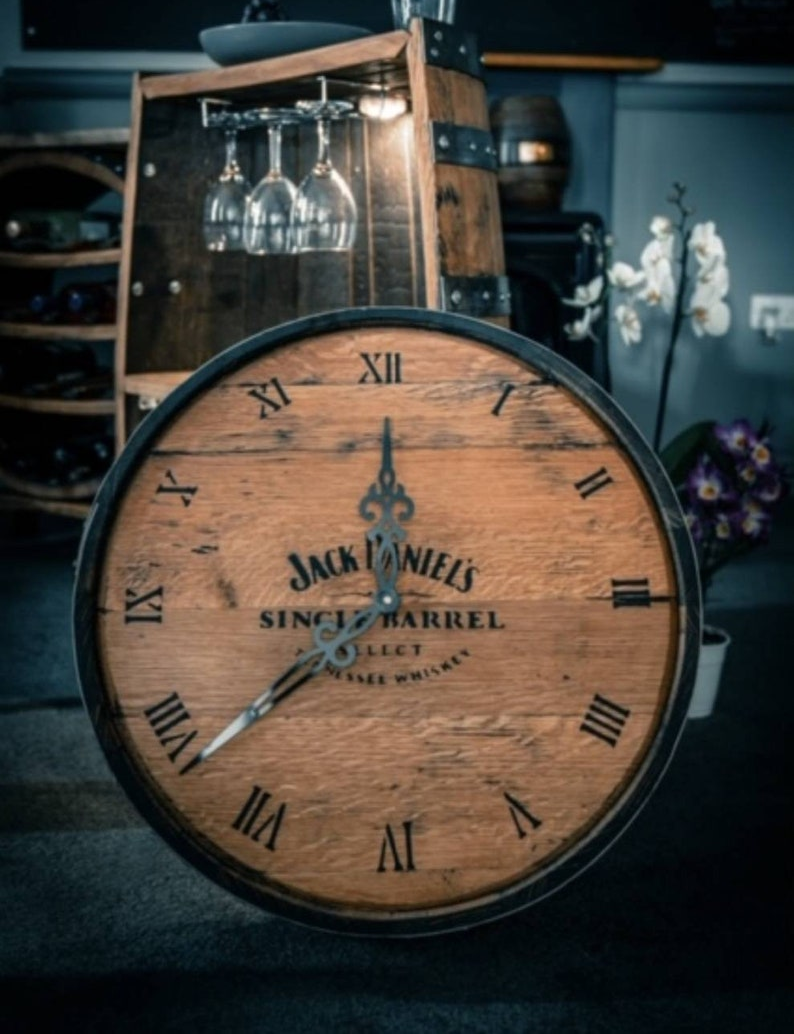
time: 11:38
